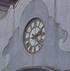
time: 2:21
